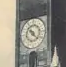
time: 10:22
